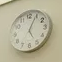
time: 5:04
